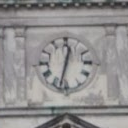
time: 12:32
